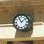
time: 11:07
